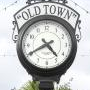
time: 4:40
